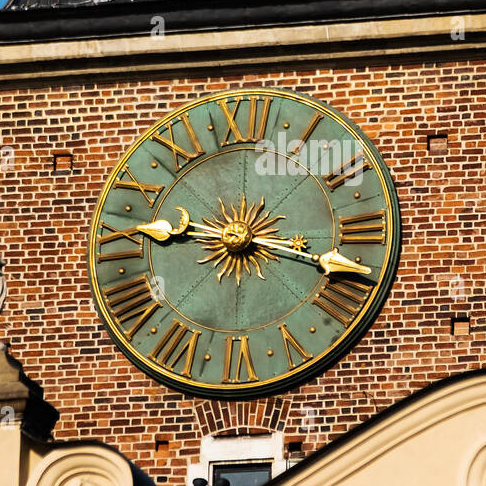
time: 9:17
